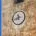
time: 11:42
